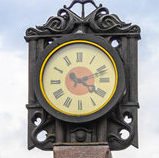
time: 4:11
